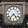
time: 4:36
